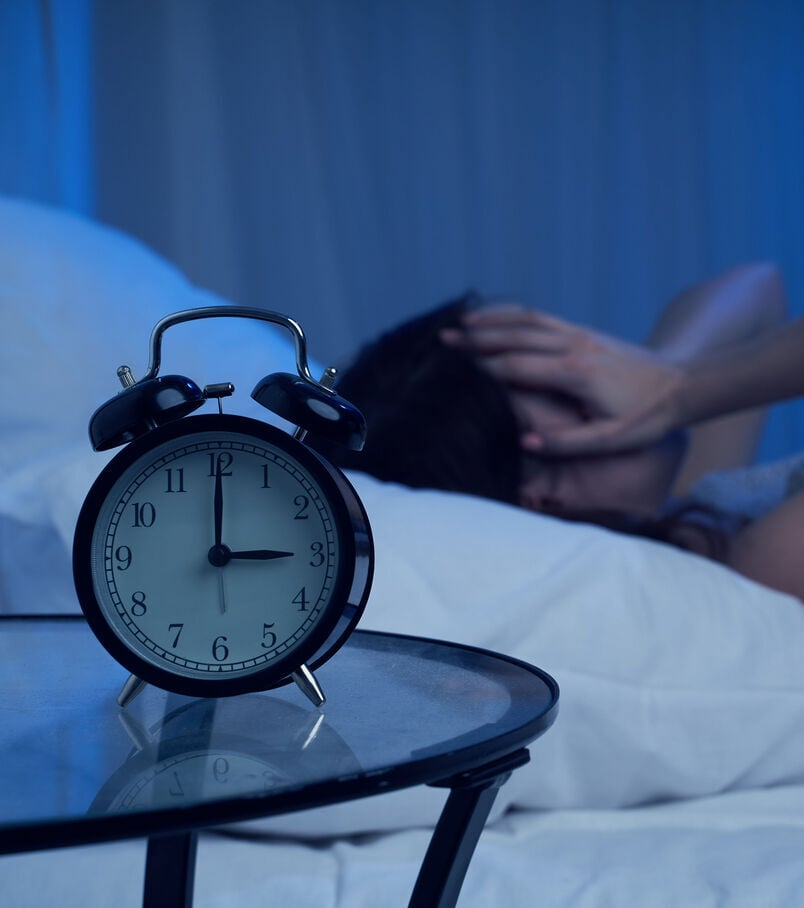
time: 3:00
